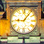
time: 9:07
